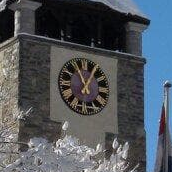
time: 12:55
